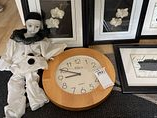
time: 8:49
